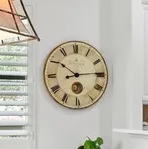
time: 10:14
